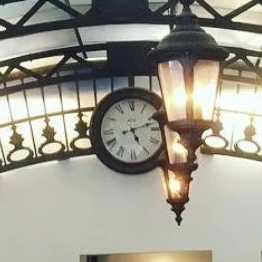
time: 5:12
